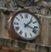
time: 1:17
